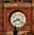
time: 8:21
